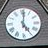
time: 5:01
